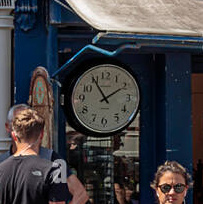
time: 1:54
